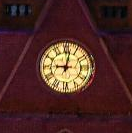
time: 9:01
